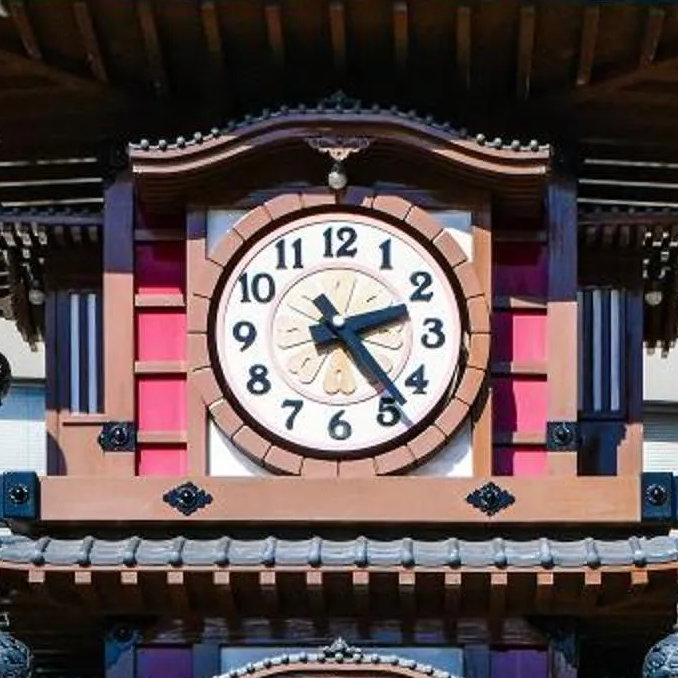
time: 2:23
